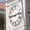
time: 2:45
